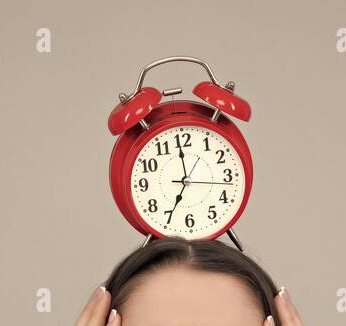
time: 6:59
